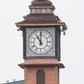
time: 11:00
